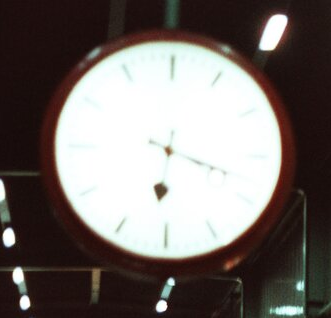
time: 6:18
